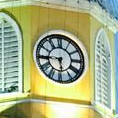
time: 5:44
